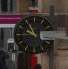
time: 9:55
